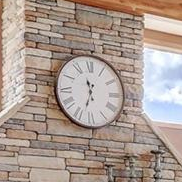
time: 11:32
